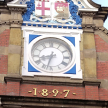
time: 8:32
